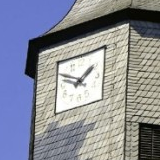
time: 1:50
